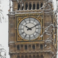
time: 10:10
